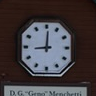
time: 9:00
